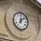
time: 12:07
